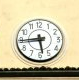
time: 5:44
